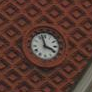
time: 3:57
